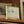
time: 11:43
